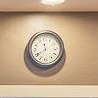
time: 11:39
